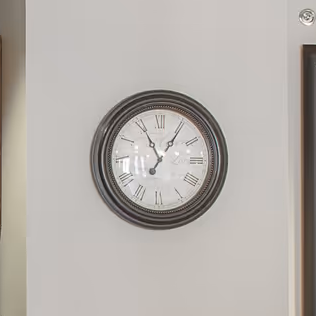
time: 11:05
